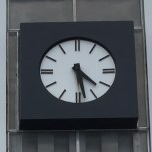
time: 4:28
